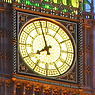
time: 7:57
